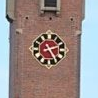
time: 2:24
